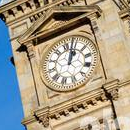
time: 1:02
